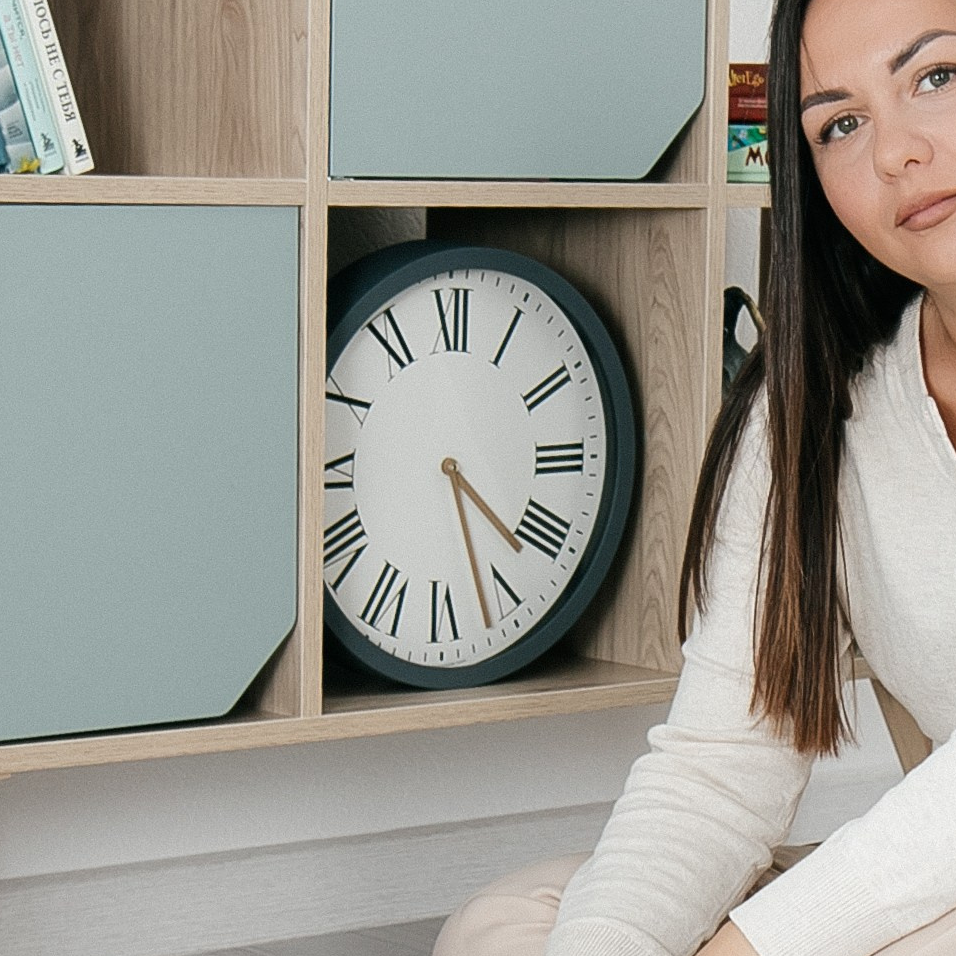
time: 4:26
